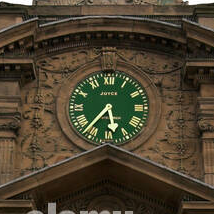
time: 5:36
